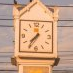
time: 7:36
